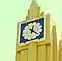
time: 12:21
